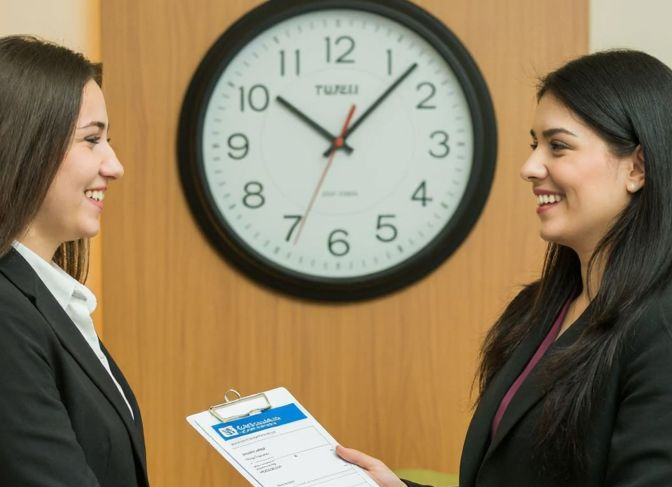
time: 10:07
